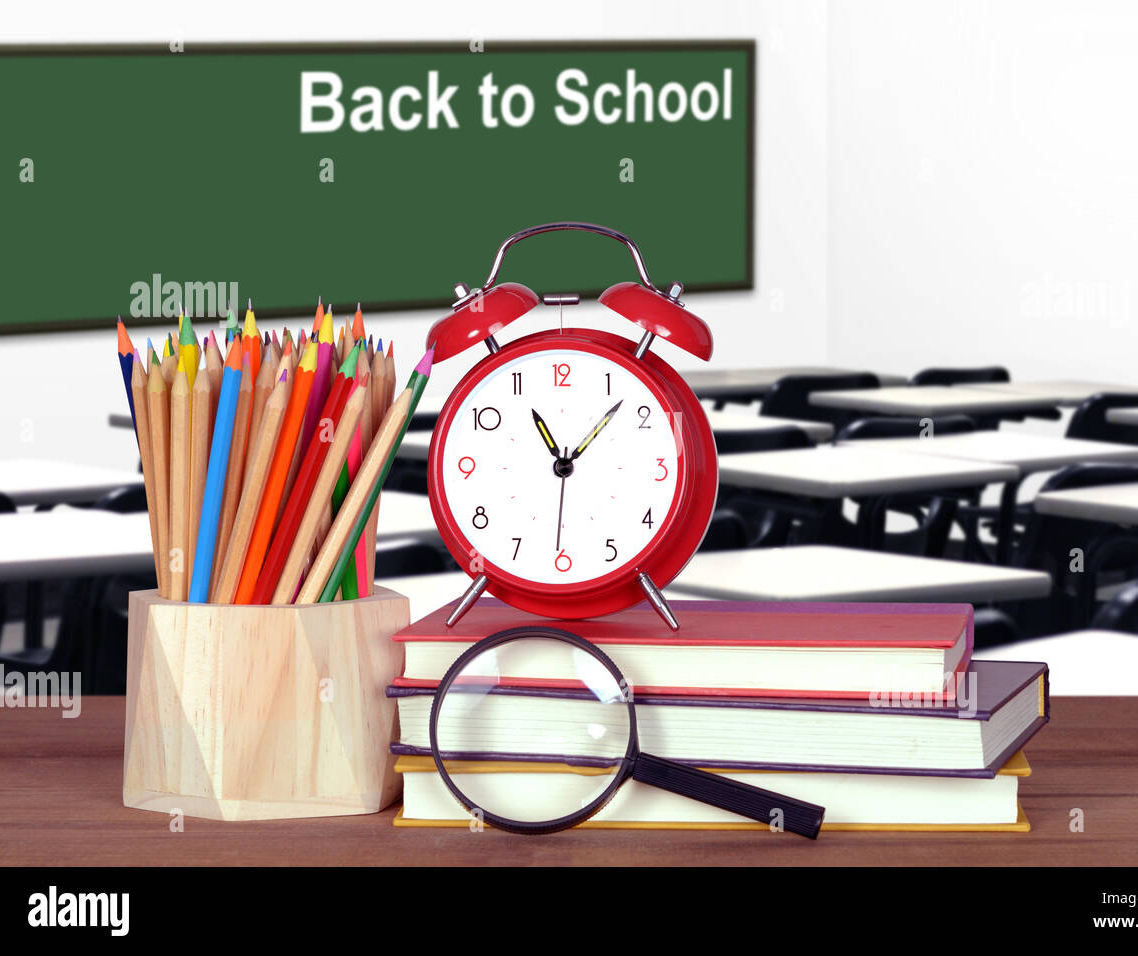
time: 11:07
